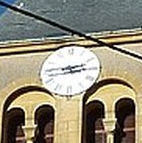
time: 2:44
